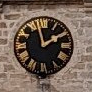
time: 1:57
